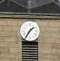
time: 1:35
